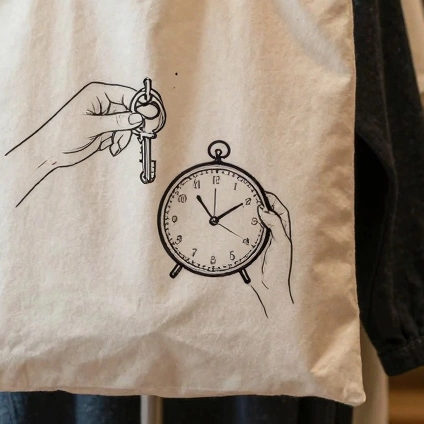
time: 1:53
